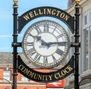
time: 10:14
